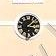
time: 1:16
